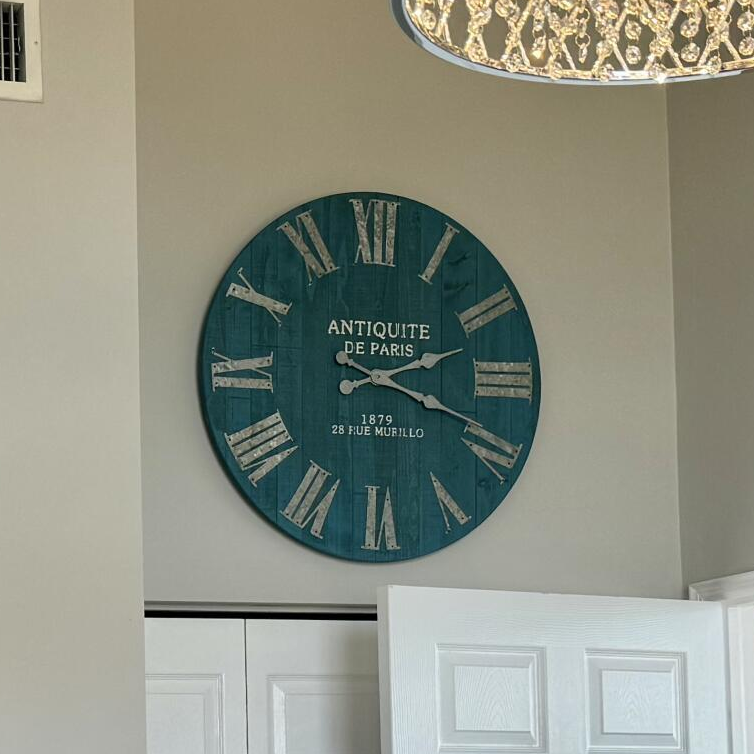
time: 2:18
